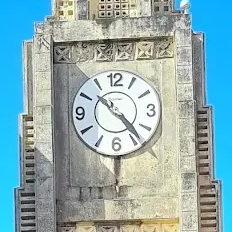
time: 10:23
